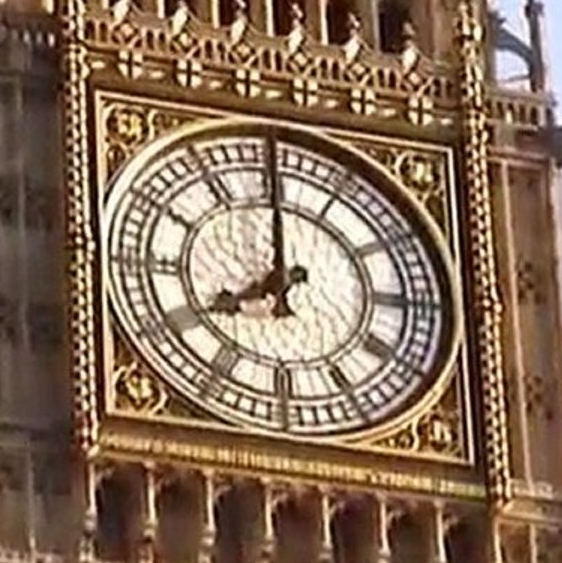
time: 7:59
